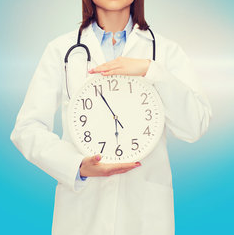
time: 5:55
